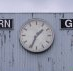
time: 1:33
